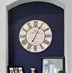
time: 7:04
